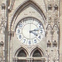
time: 4:12
